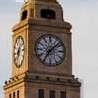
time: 7:07
